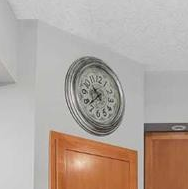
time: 10:38
